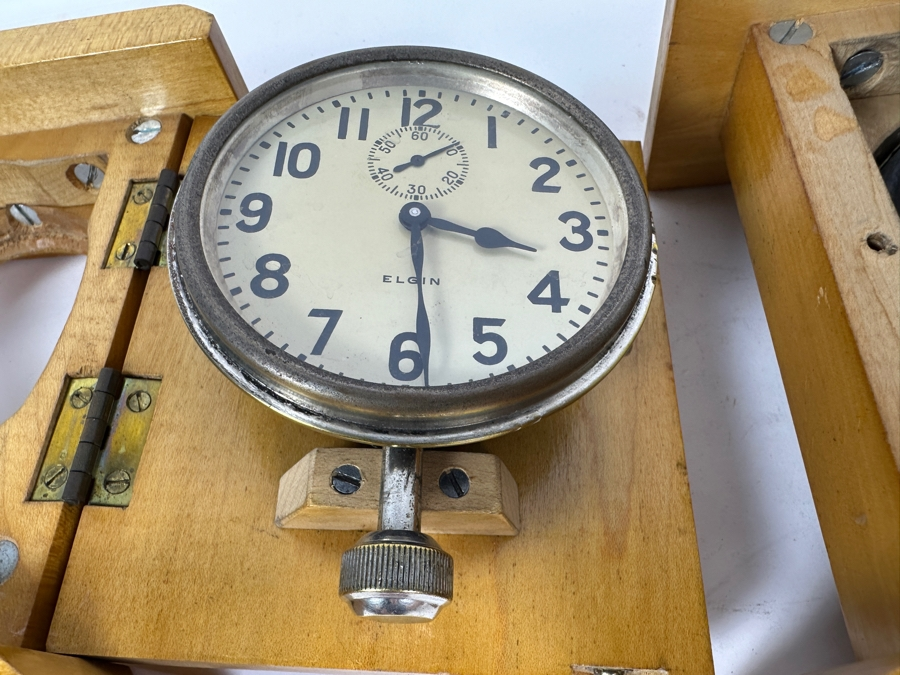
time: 3:29
